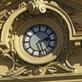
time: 2:27
